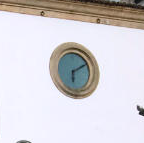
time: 6:10
